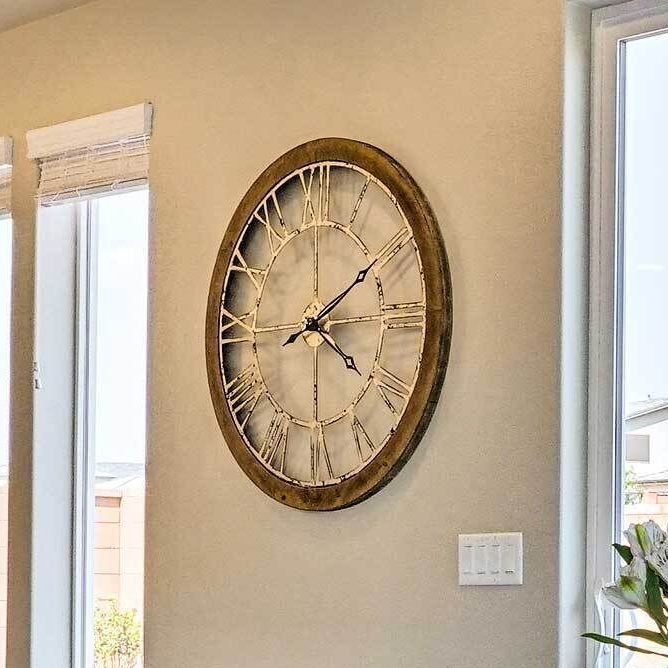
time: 4:09
